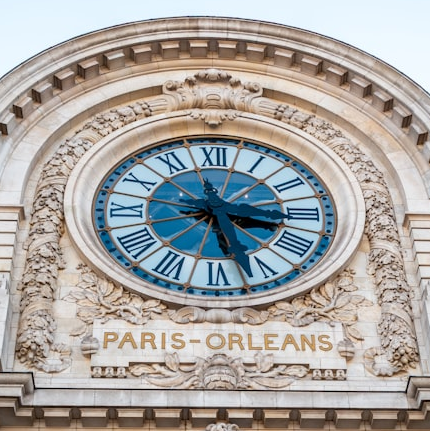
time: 3:27
